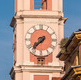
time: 7:37
